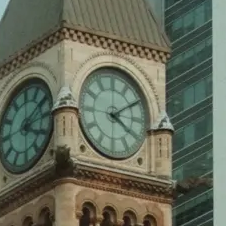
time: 4:09
